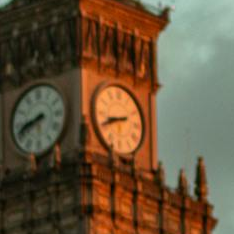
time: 8:41
